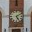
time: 5:09
